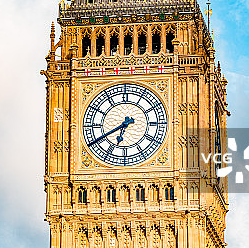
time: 6:40
